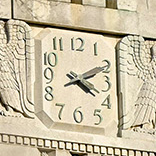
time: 4:10
